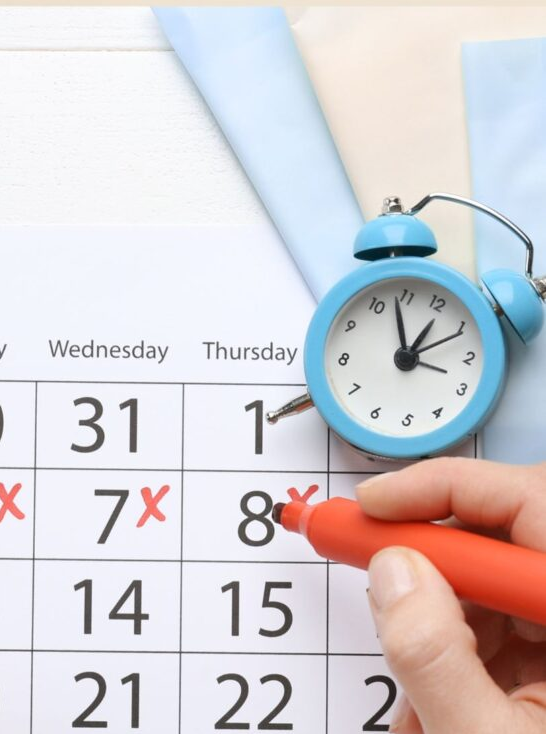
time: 12:58
